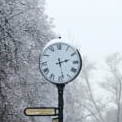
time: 2:28
